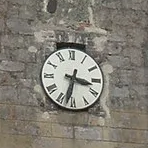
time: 3:32
